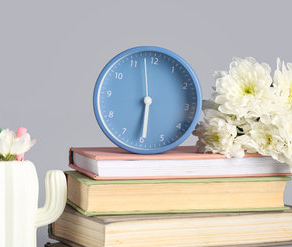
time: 5:57
